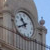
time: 10:39
